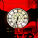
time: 6:32
